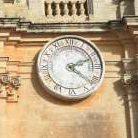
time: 2:21
